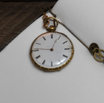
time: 12:46
